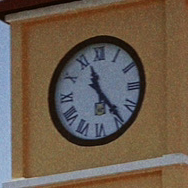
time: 11:23
